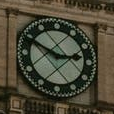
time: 2:49
